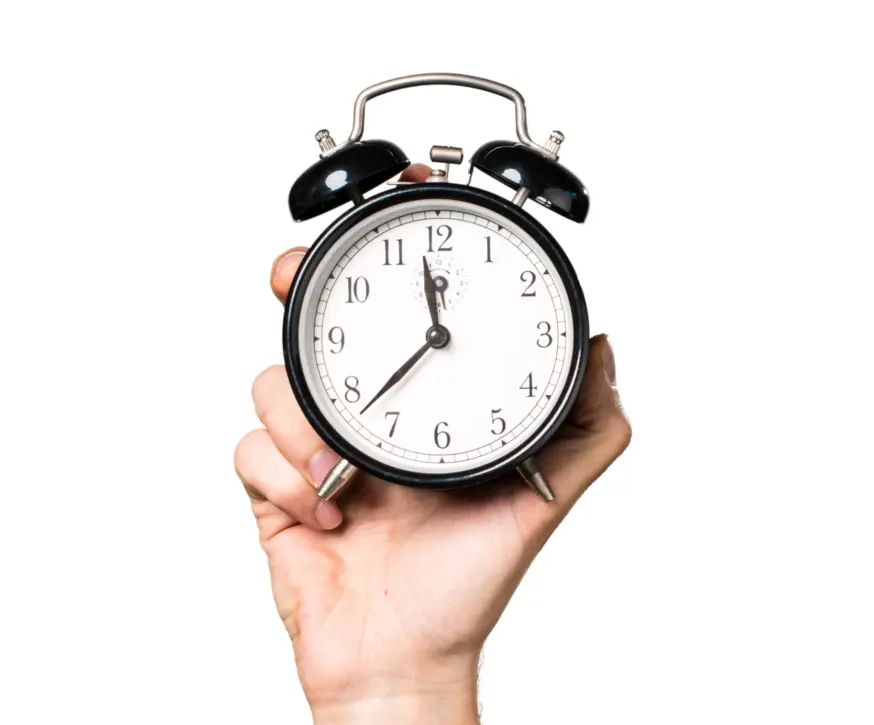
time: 11:37
